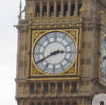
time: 2:40
